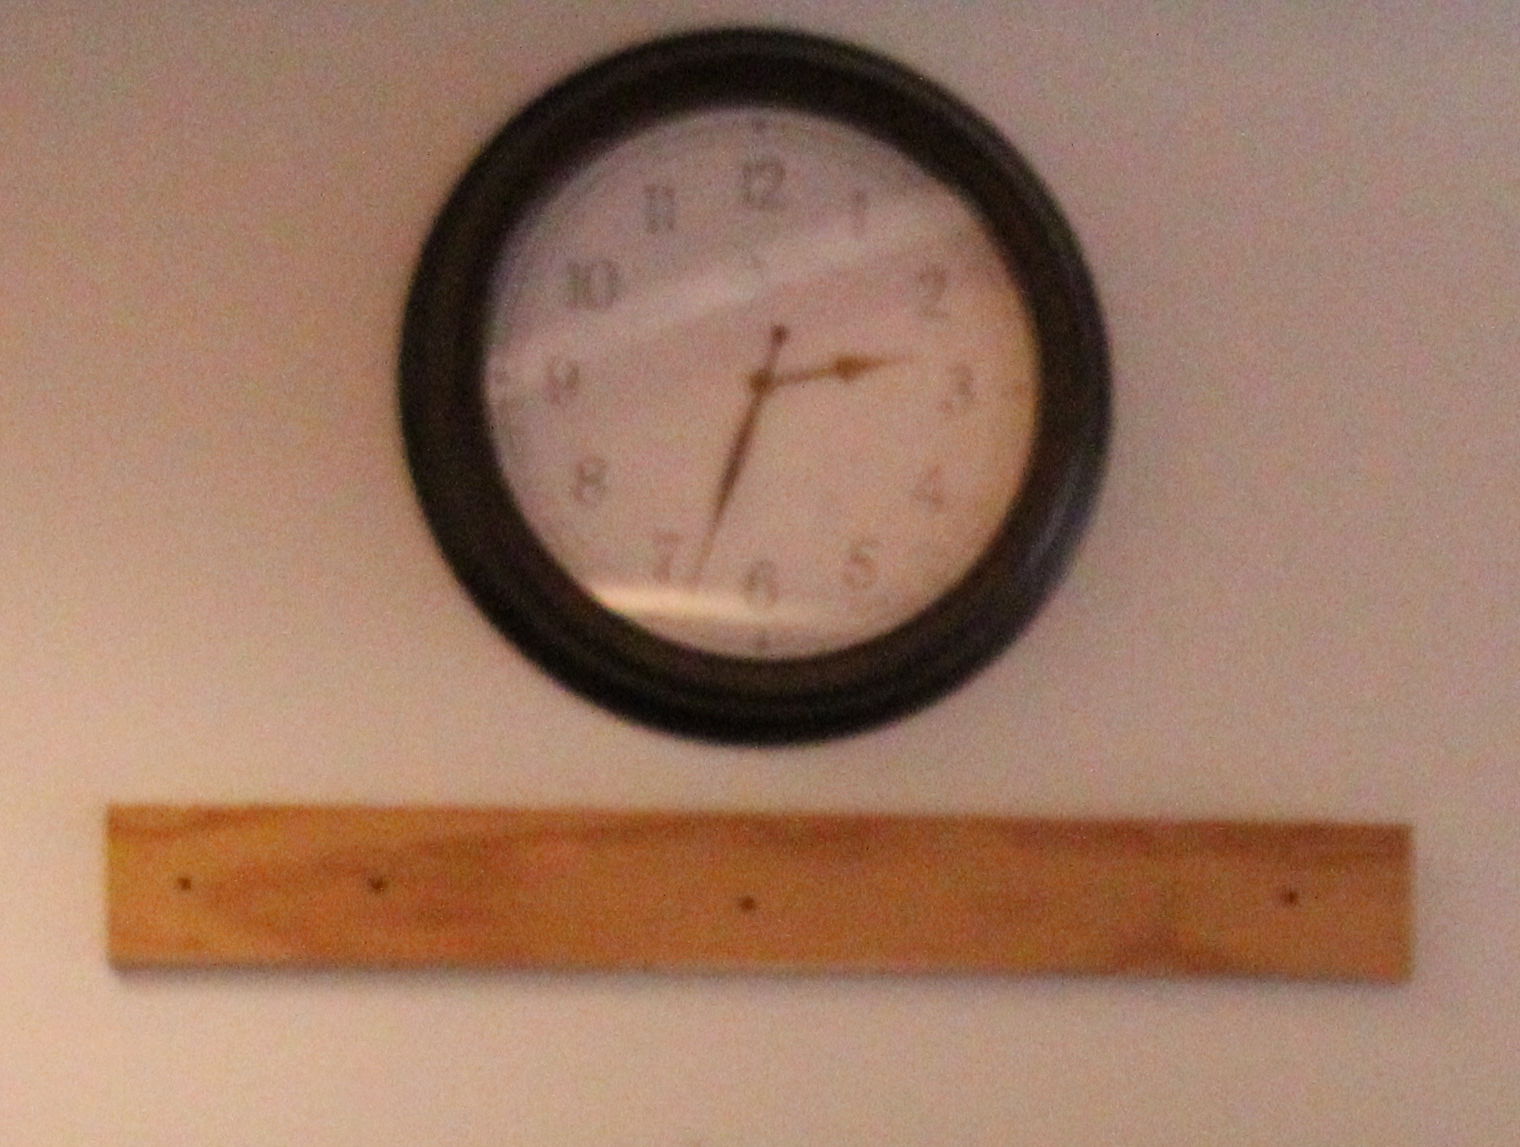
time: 2:33
